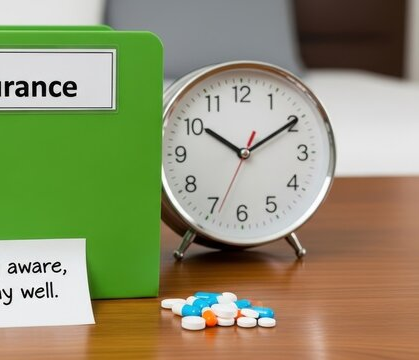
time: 10:09
